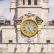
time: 5:26
